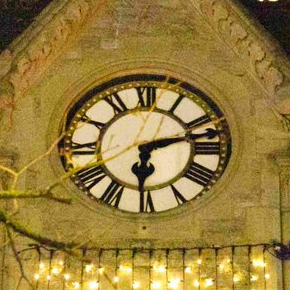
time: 6:12
